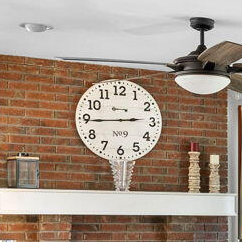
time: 2:44
